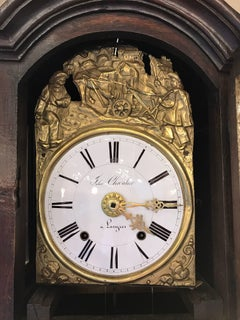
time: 4:14
